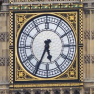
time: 5:34
